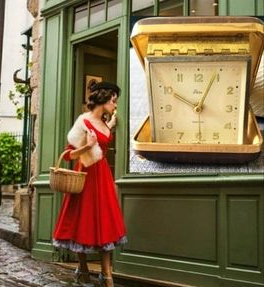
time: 10:04
